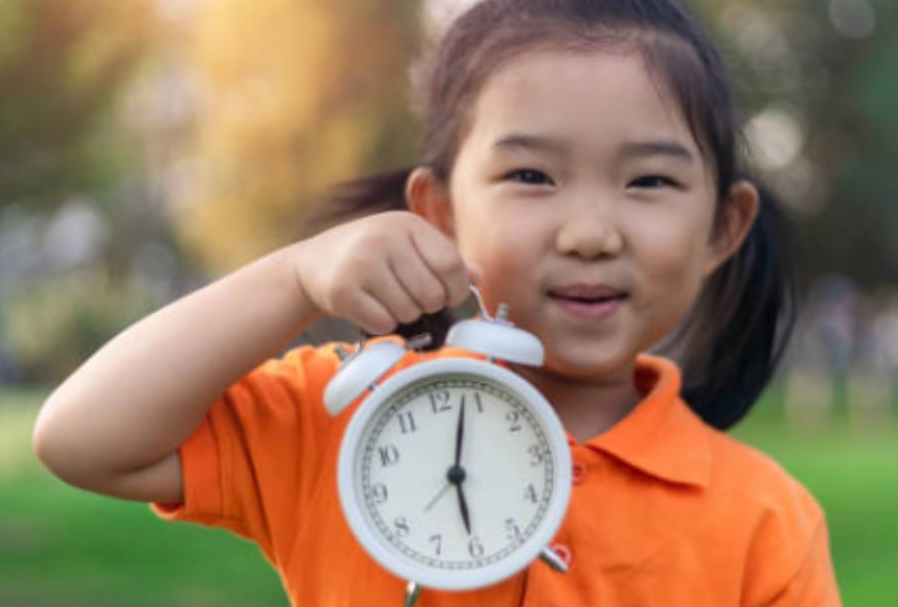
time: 6:03
